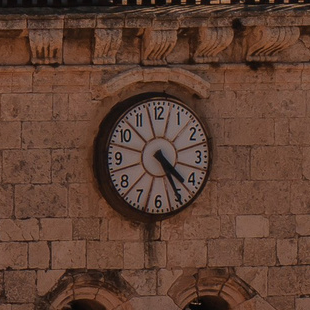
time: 4:25
